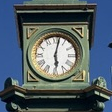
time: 6:01
